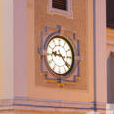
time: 9:22
